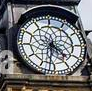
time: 4:31
